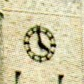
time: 3:58
